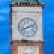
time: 8:11
